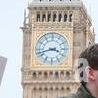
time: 3:42
